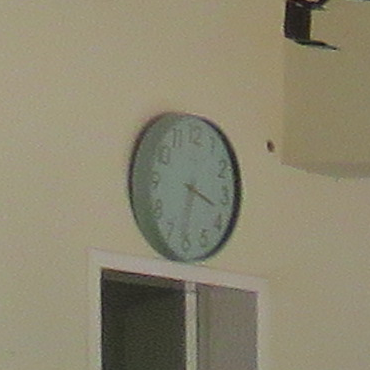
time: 3:31
